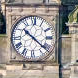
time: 10:21
